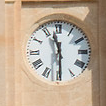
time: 11:29
